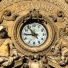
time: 8:53
